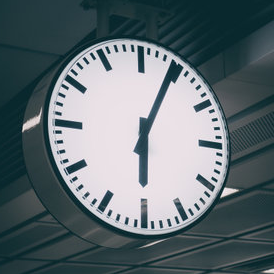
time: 6:04
